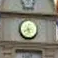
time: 8:27
